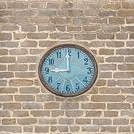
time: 8:59
